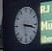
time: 3:17
